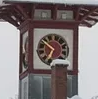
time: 6:50
